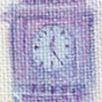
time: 12:23
